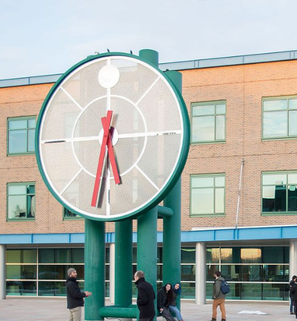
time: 5:31
